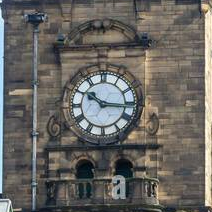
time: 10:15
